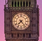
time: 7:23
